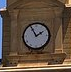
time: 1:55
